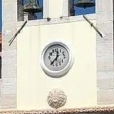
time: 12:37
